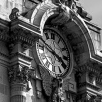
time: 3:48
